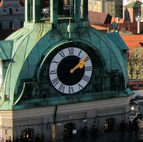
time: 2:09
